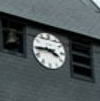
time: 3:44
